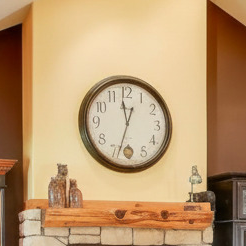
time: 11:33
